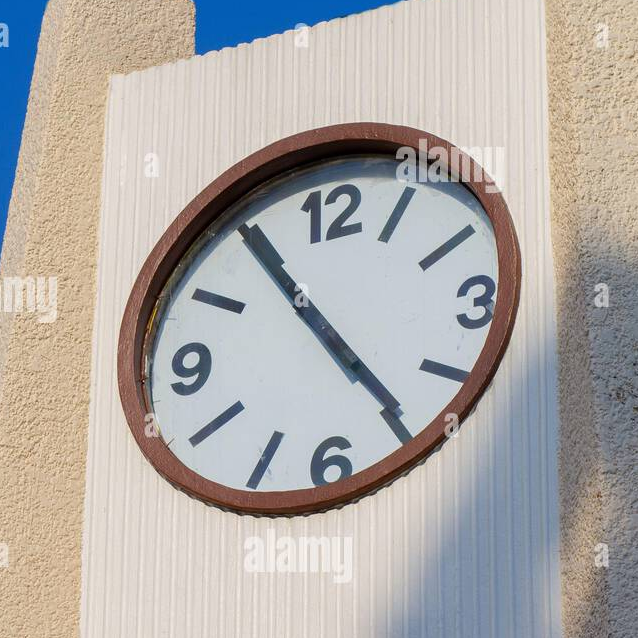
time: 4:54
